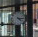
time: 4:14
